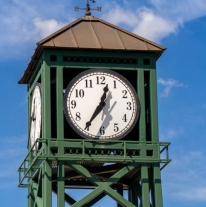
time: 12:35
